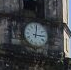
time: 3:01
